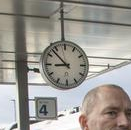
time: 8:53
